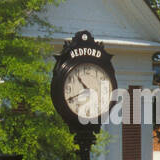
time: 10:41
